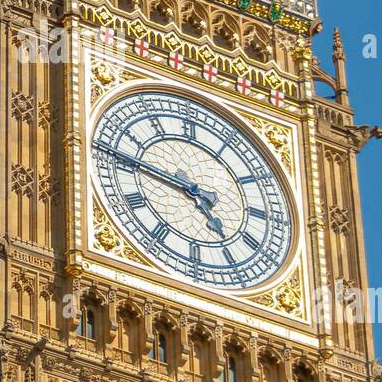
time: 4:45
